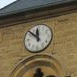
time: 11:52
